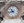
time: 10:42
